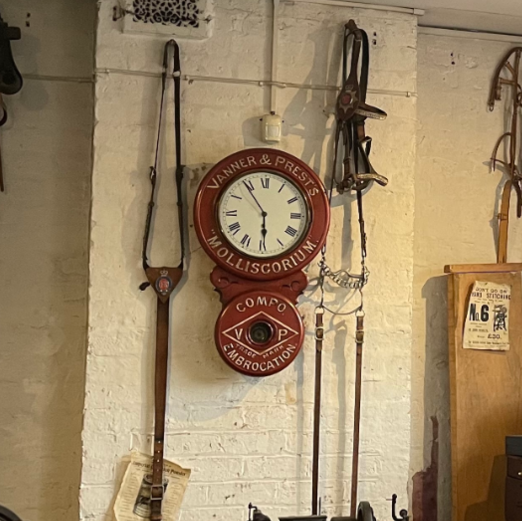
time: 5:54
